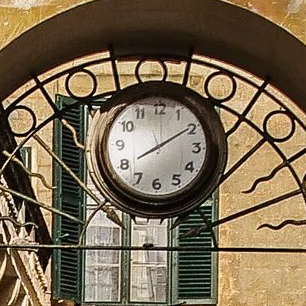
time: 8:09
